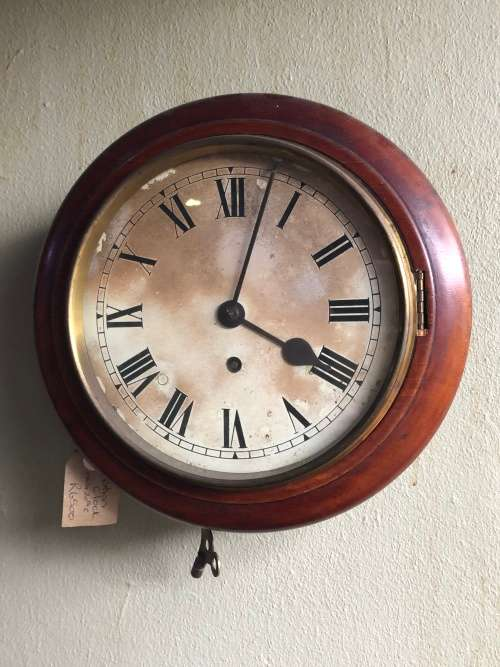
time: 4:02
